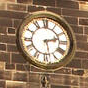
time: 2:27
